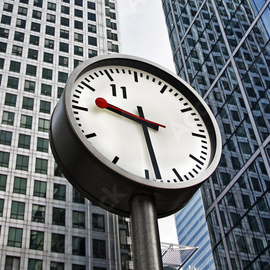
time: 9:28
